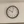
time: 10:02
